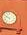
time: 5:49
